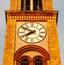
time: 7:50
